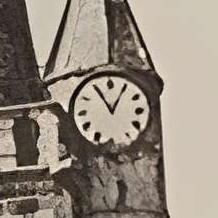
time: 11:05
